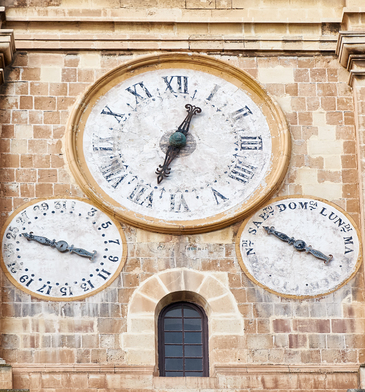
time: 12:33
